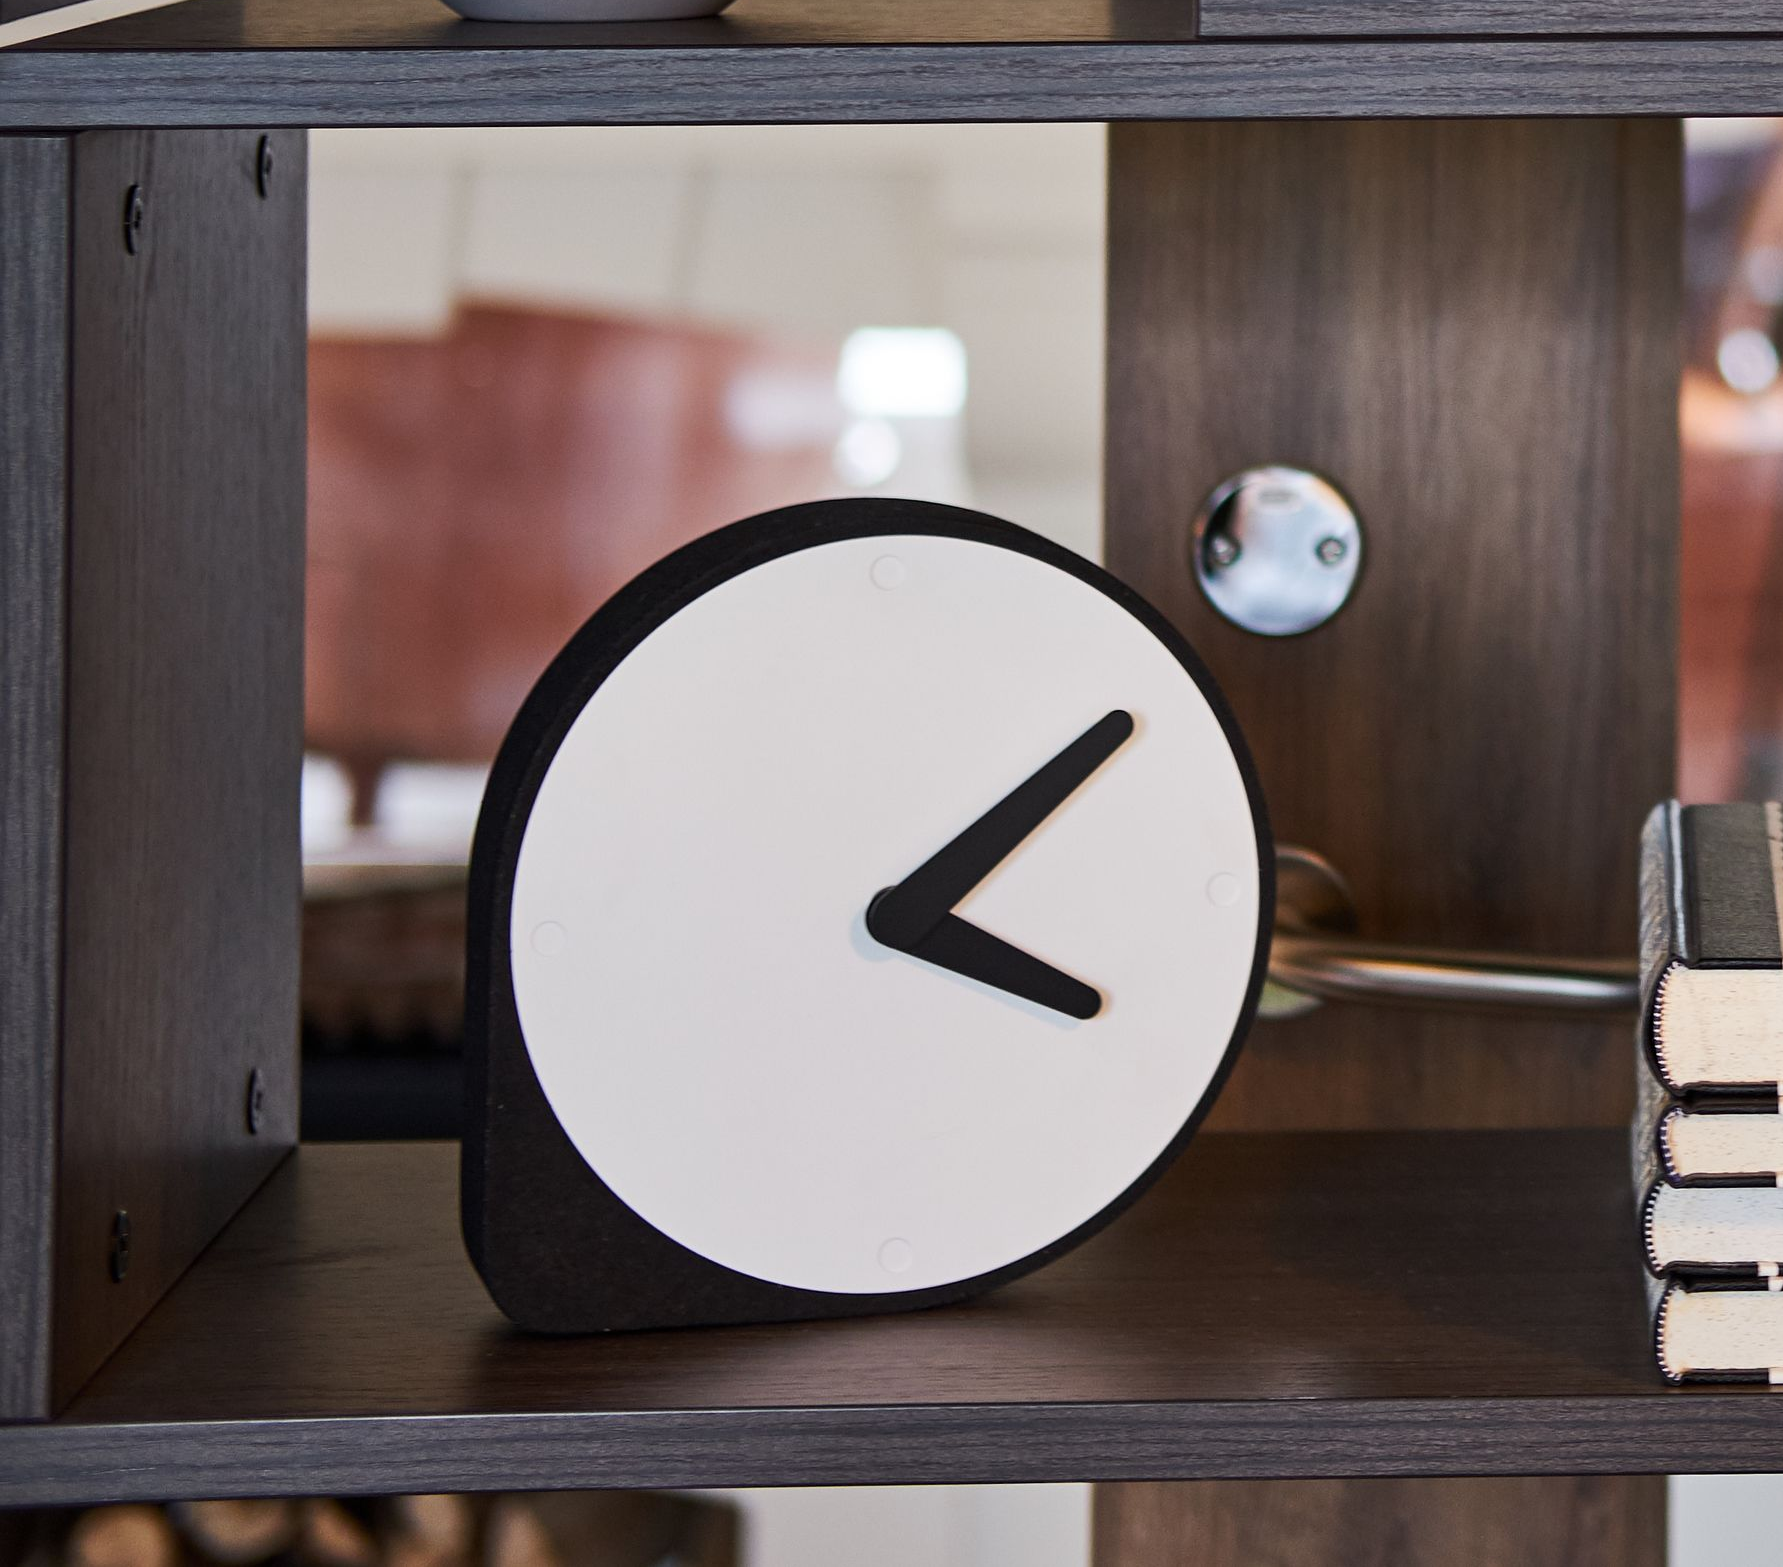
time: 4:09
